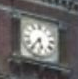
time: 5:36
